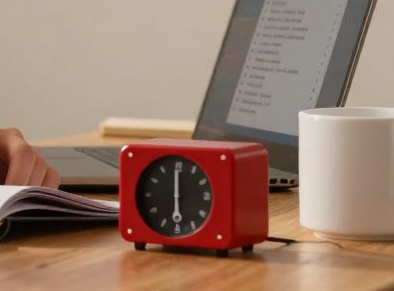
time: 5:59
